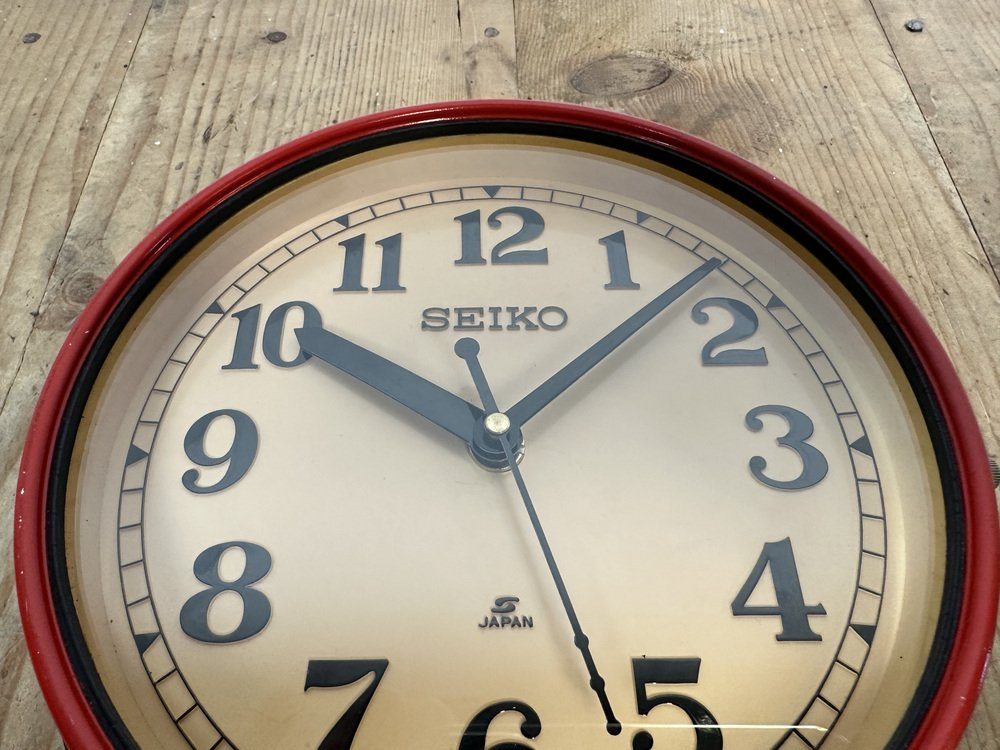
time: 10:07
